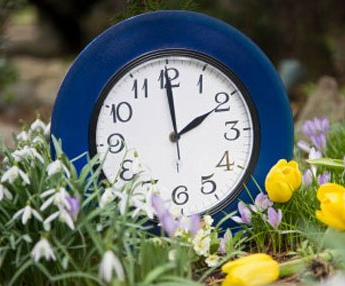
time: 1:59
